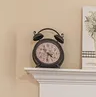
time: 4:31
